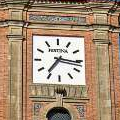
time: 7:16
